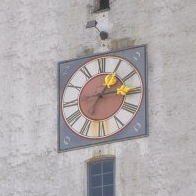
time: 3:05
